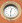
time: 12:30
